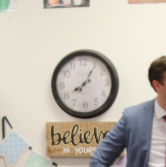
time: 8:05
